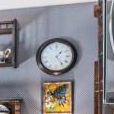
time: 1:24
